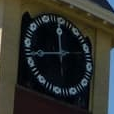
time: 11:42
